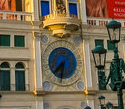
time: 7:32
